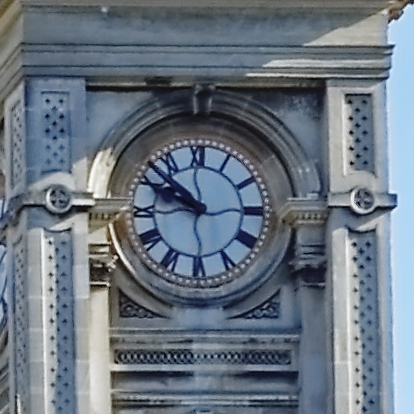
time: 9:51
